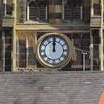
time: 12:00
